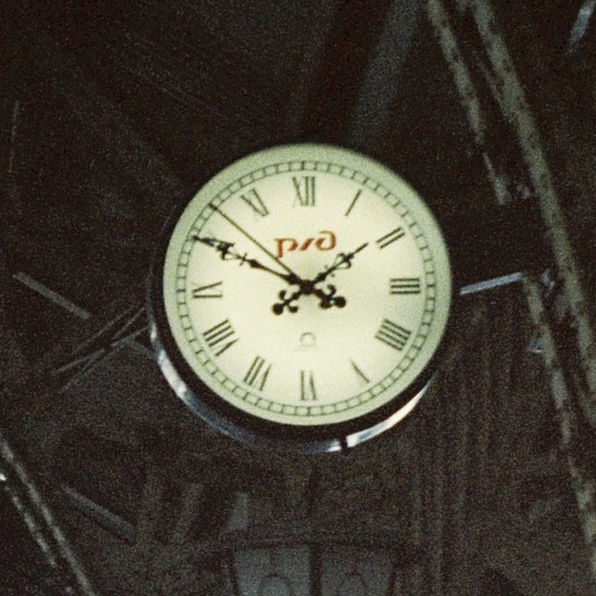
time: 1:49
